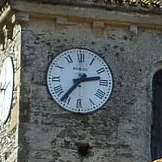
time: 2:36
